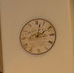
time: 2:02
